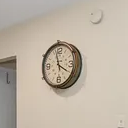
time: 3:57
